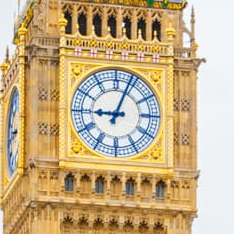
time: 9:03
